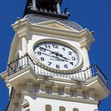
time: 3:50
